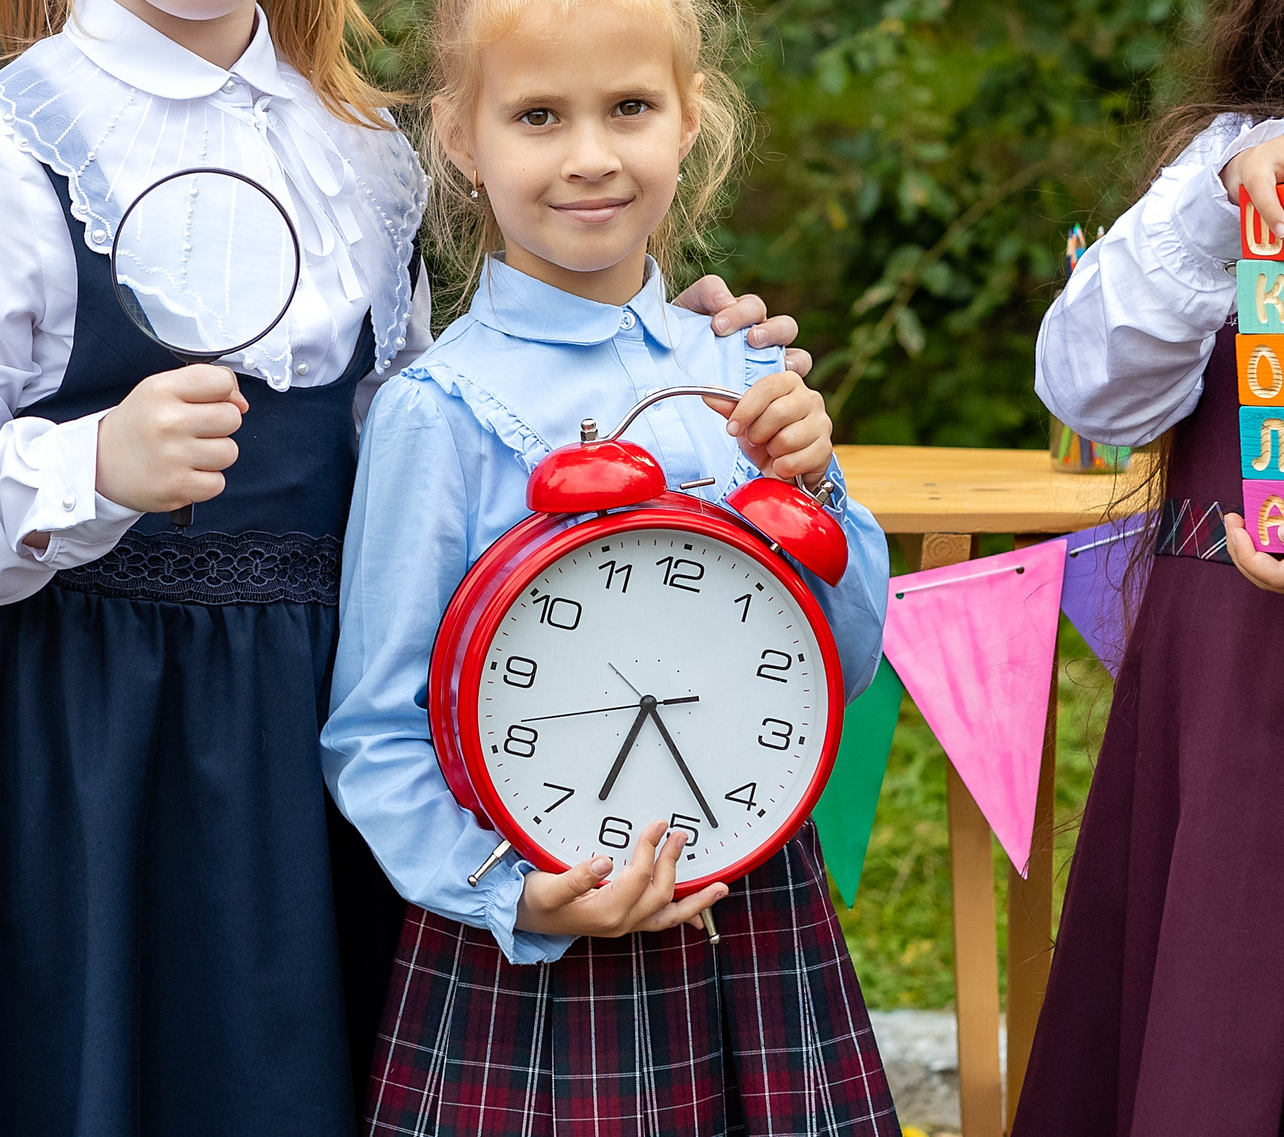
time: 6:22
